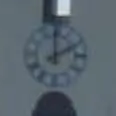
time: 1:59
